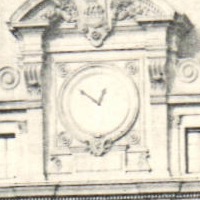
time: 12:51
